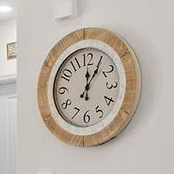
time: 12:05
